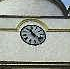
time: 11:22
